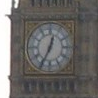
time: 12:34
